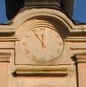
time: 11:54
